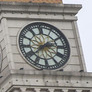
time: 2:38
